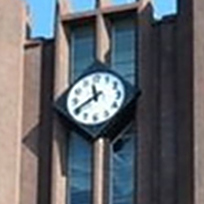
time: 11:40
